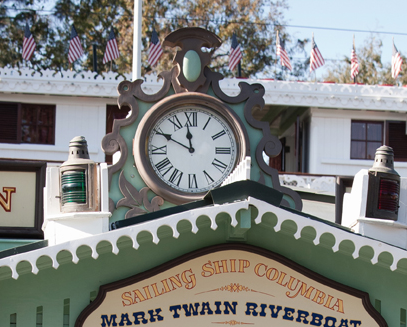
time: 11:49
